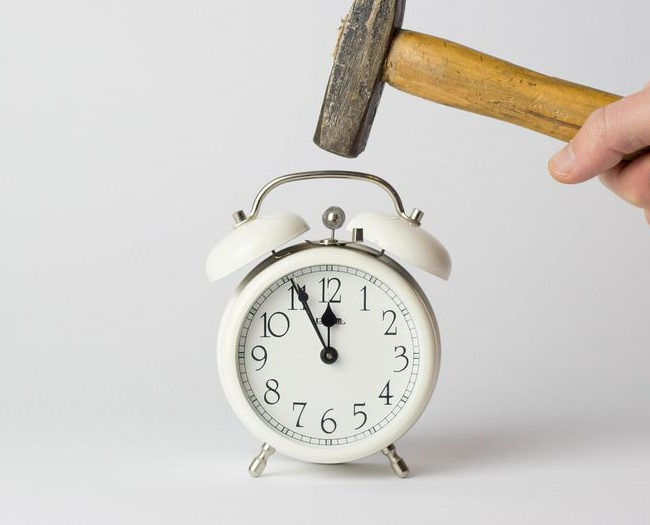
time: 11:55
